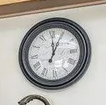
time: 12:04
